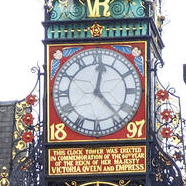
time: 12:23
